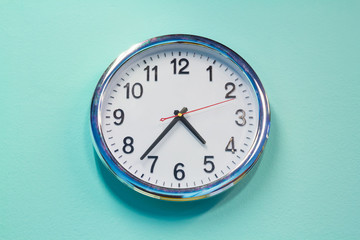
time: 4:36
